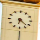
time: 6:22
